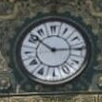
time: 10:14
